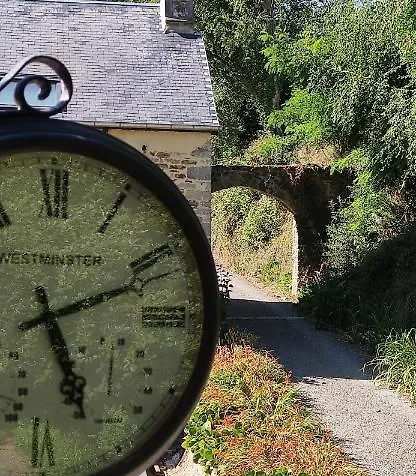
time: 5:11
